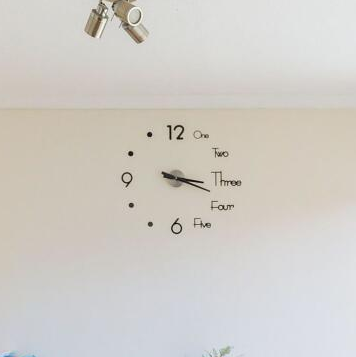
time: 3:18
